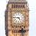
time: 4:46
